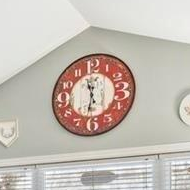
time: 11:32
